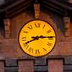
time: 8:14
